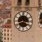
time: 3:40
